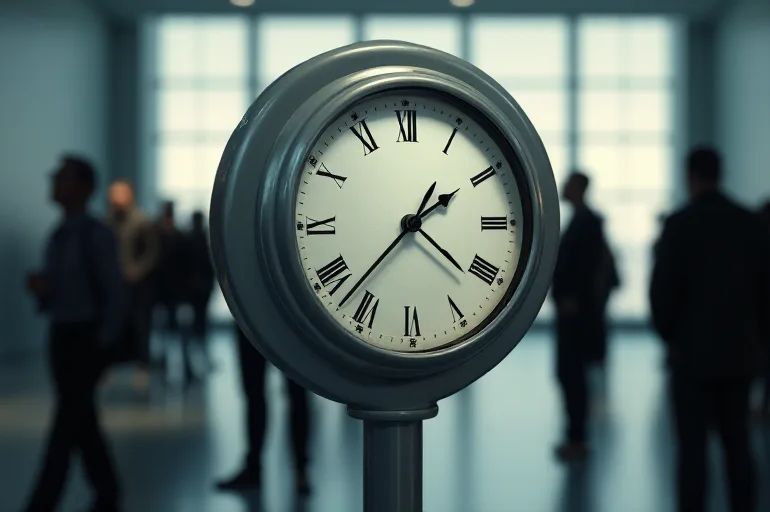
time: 1:37
